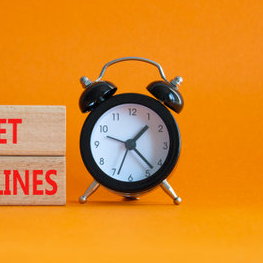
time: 1:22
